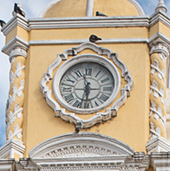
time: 5:57
